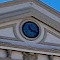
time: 11:18
